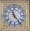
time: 11:23
